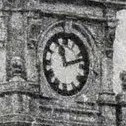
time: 11:12
